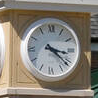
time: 3:21
